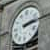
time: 2:13
